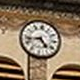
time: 4:42
